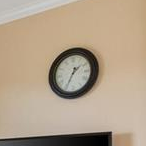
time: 1:34
